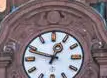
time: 12:48
